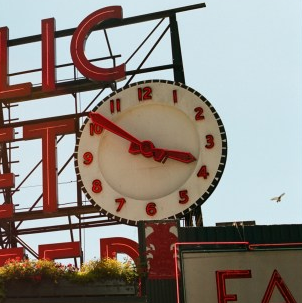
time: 3:51
